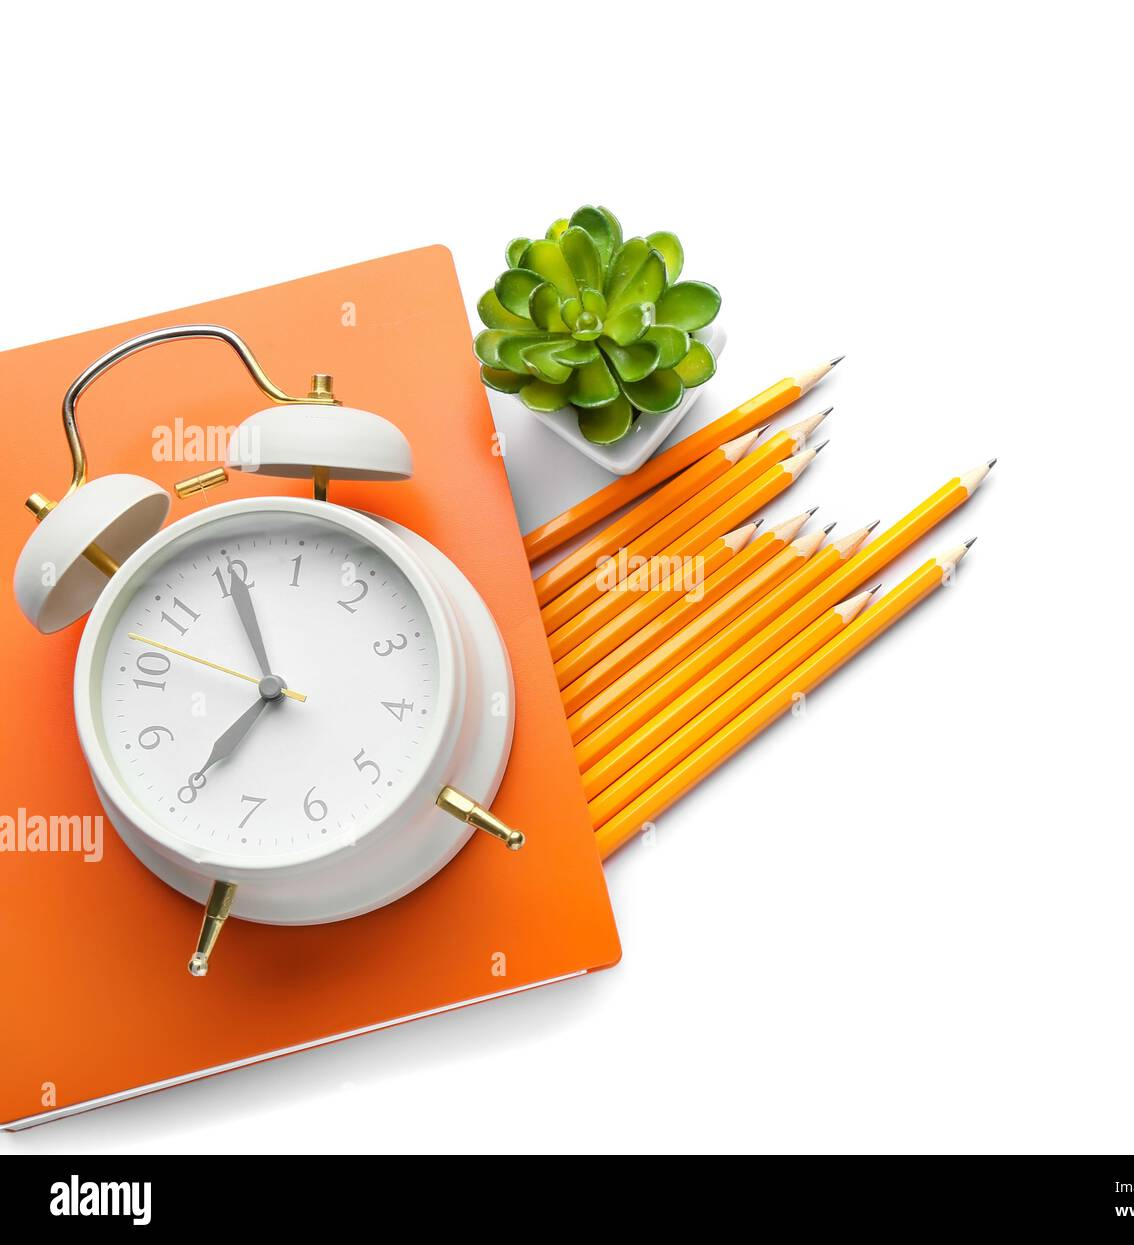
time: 7:00
